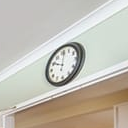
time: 10:00
